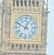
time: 12:49
